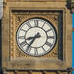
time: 8:35
